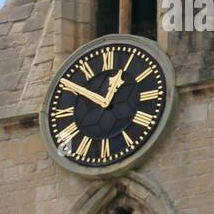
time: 12:50
